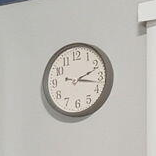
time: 2:17
